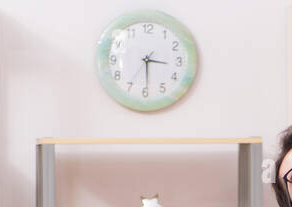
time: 3:29
